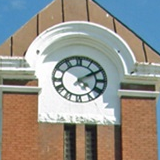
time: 4:09
